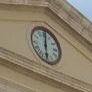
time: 6:01
